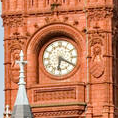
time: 6:19
